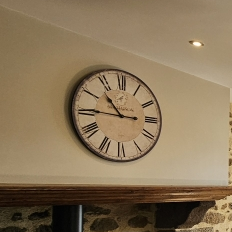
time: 10:45
